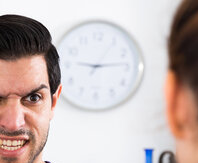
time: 9:13
